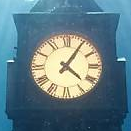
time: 4:05
